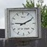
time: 9:10
